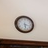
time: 3:28
